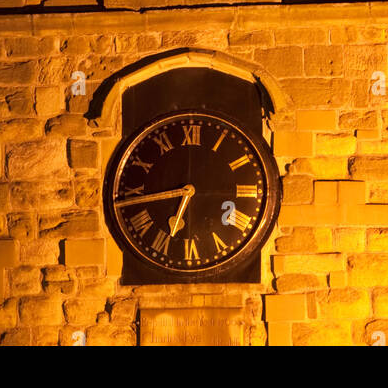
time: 6:43
